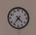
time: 4:36
